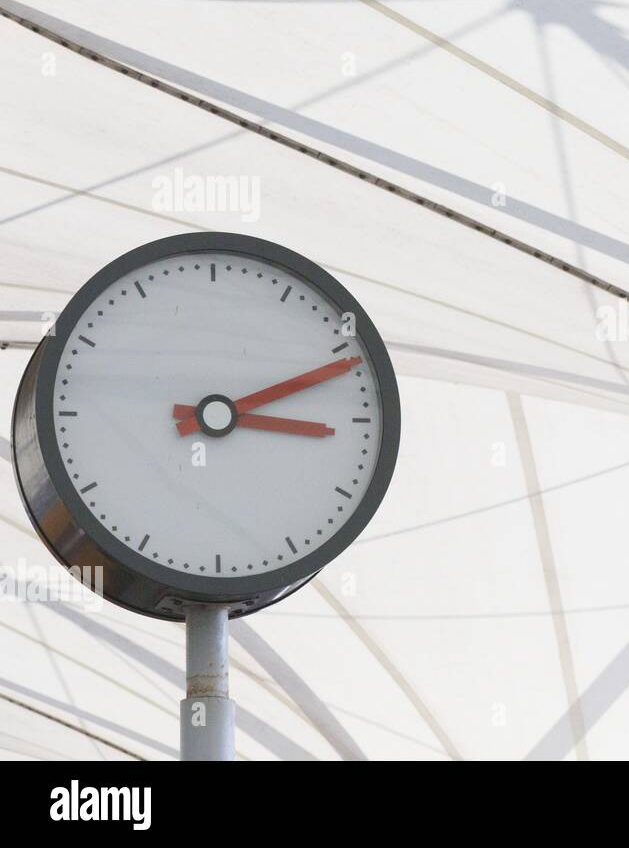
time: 3:11
